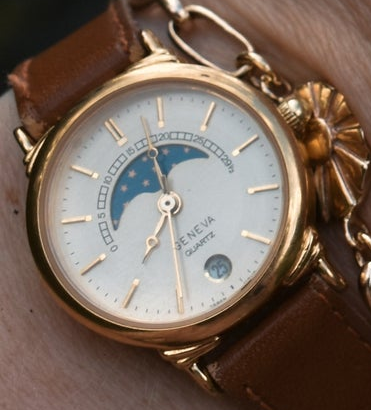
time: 11:35
